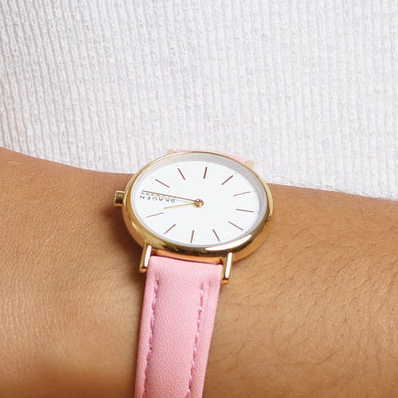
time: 8:46
